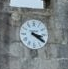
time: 3:20
